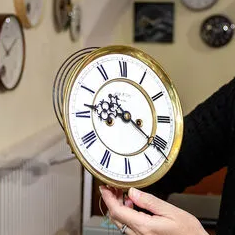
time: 9:21
